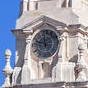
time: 11:46
